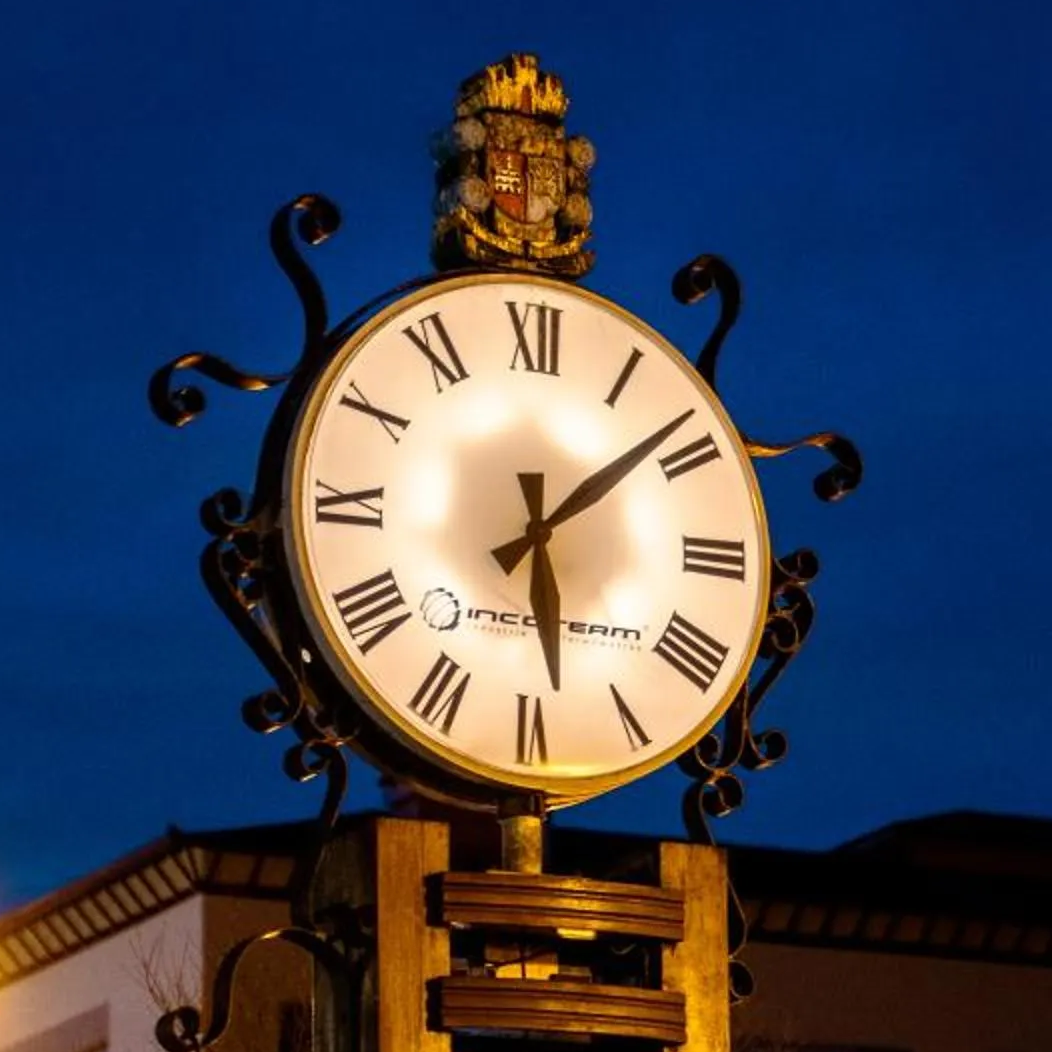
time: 6:08
